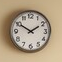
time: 1:50
